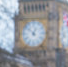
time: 12:52
